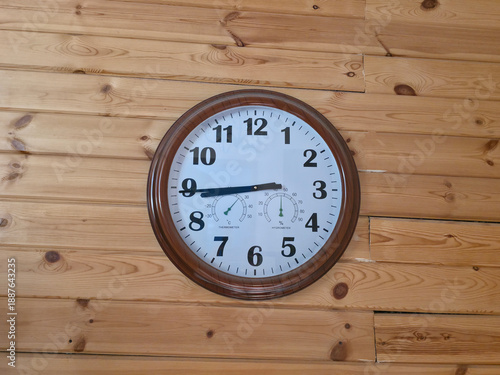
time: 8:44
